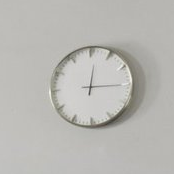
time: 12:15
